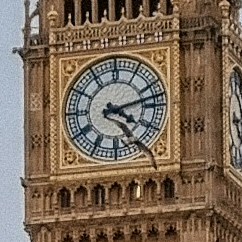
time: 4:12
